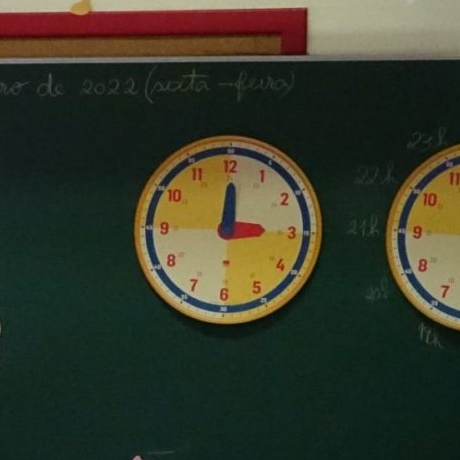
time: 12:14
